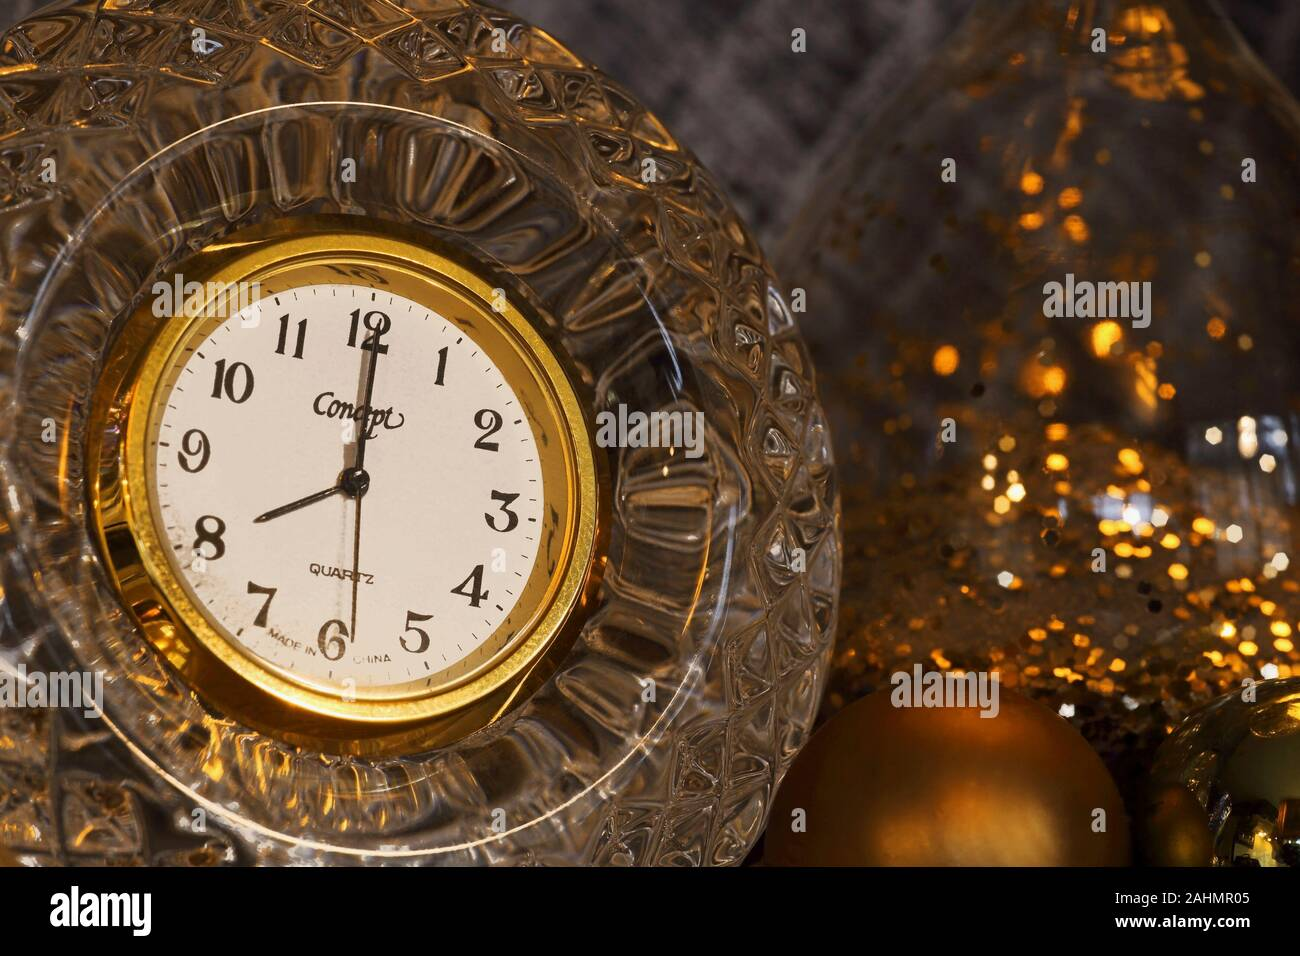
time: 8:00
